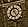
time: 7:24
